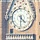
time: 4:29
